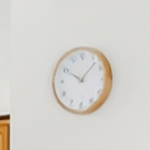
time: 10:07
